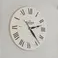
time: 2:23
